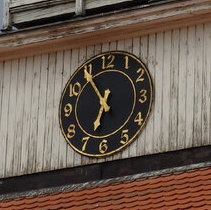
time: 6:54
